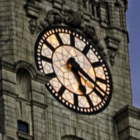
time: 5:18
